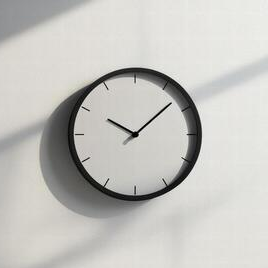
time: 10:07
